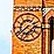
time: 7:38
